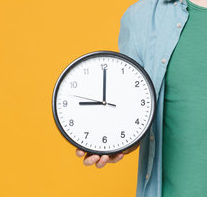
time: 9:00
